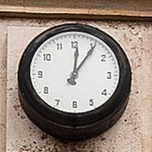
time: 12:05
